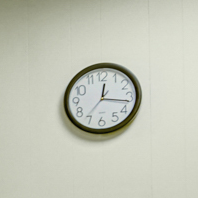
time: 12:16
